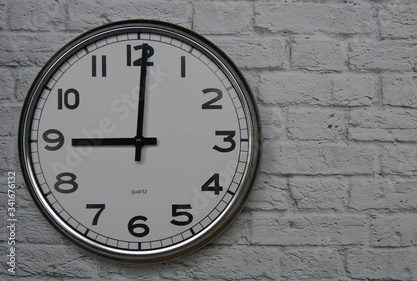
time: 9:00
